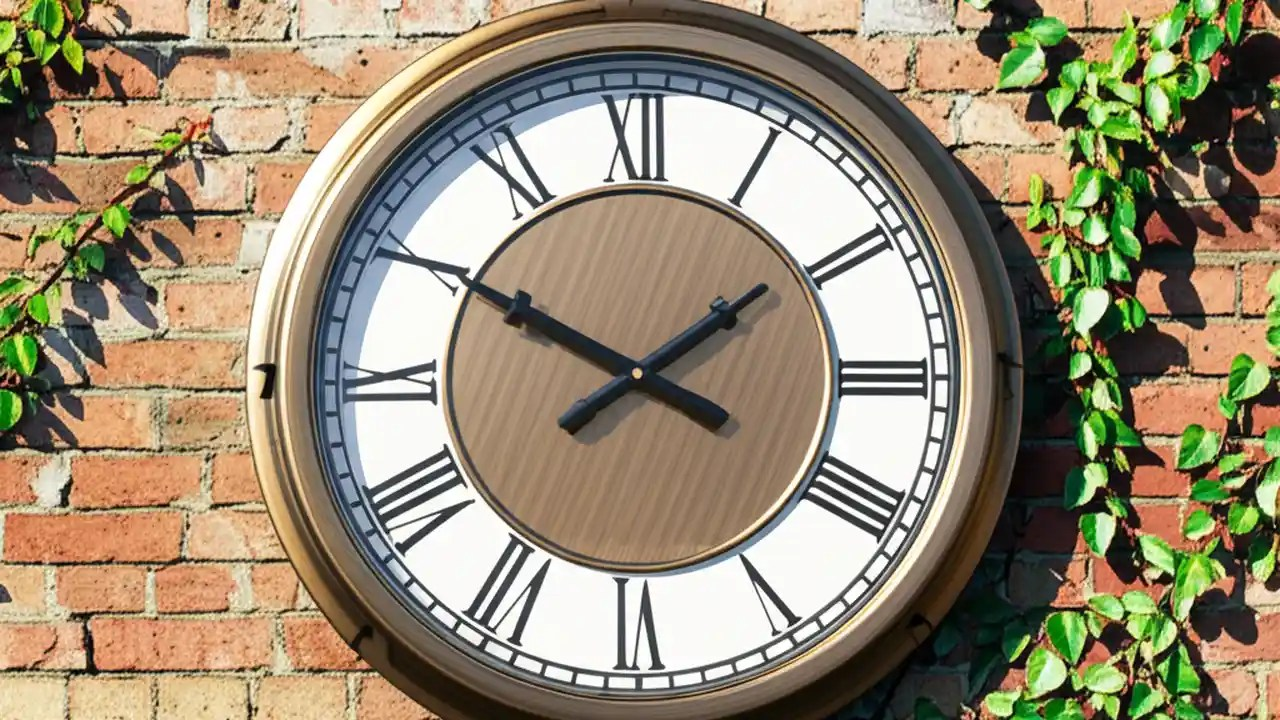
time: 1:50
